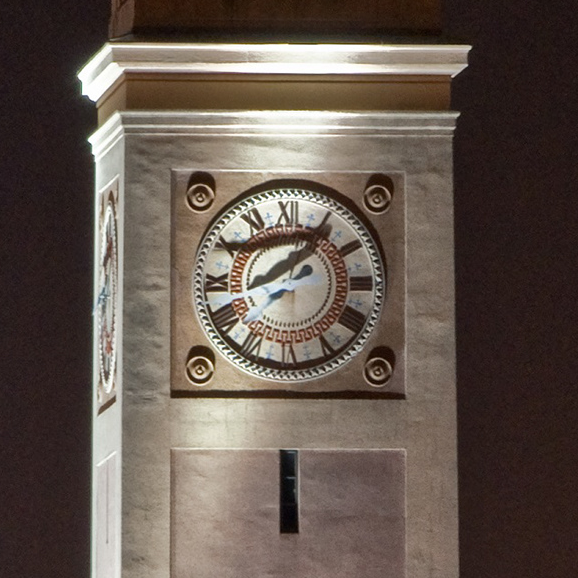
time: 8:07
